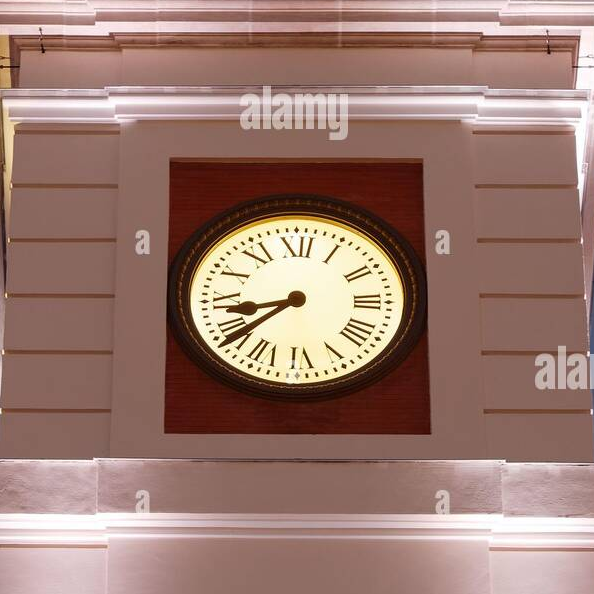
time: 8:38
